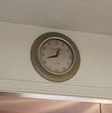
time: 12:42
